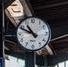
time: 10:49
